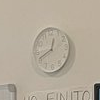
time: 12:41
